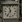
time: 11:35
